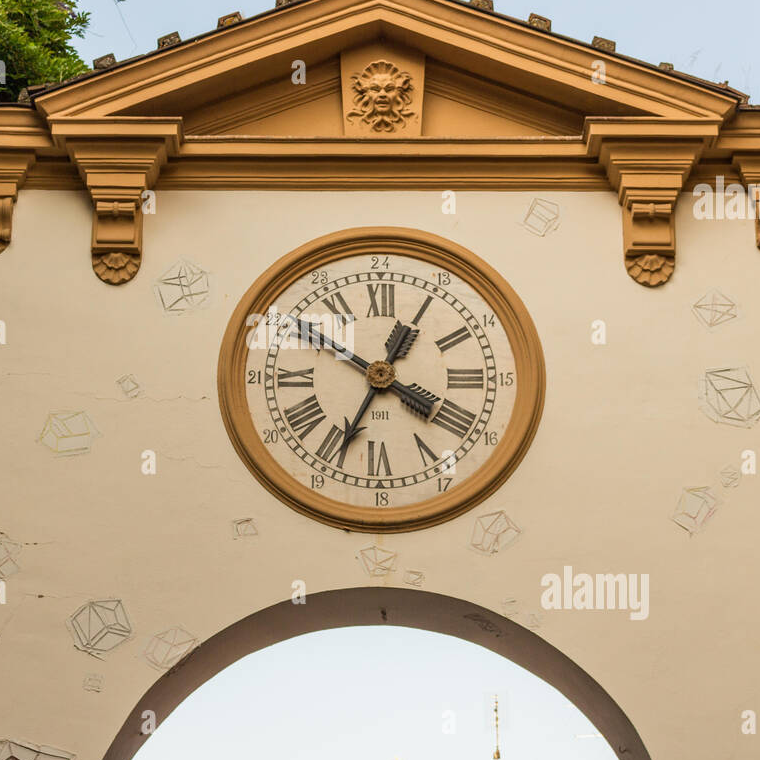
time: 12:34
